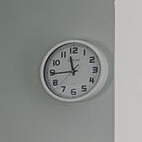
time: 11:44
